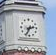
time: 2:34
